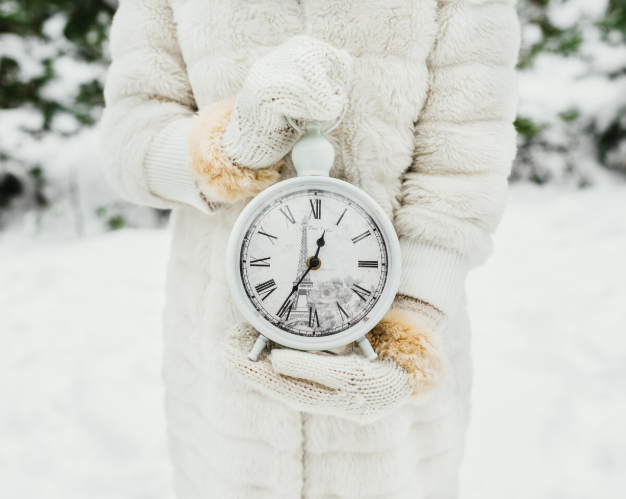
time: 12:35
